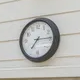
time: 7:14
